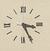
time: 3:25
